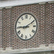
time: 9:10
